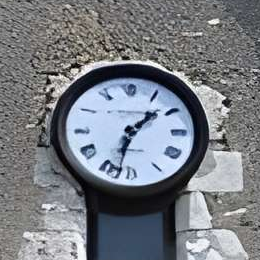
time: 1:32
